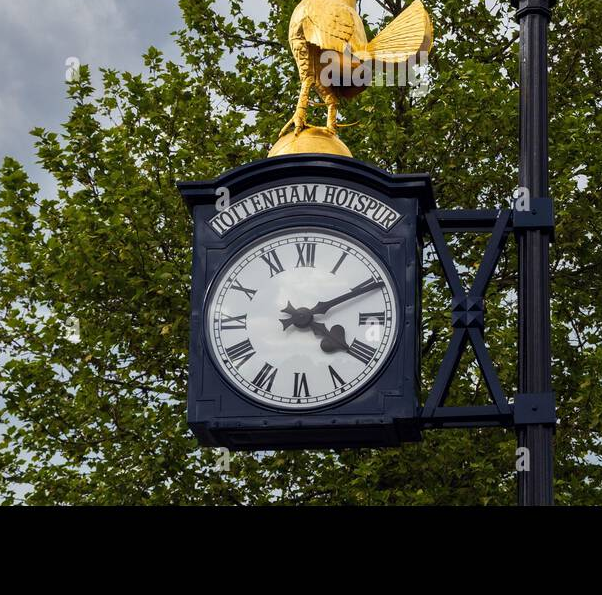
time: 4:10
